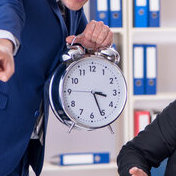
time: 3:26
